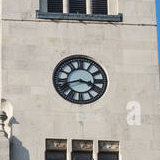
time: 3:42
